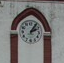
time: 2:06
